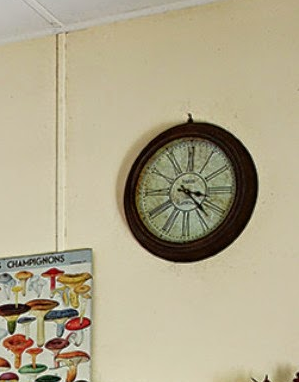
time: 3:22
